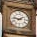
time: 1:46
